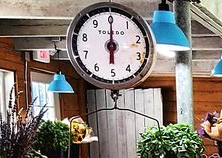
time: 5:59
